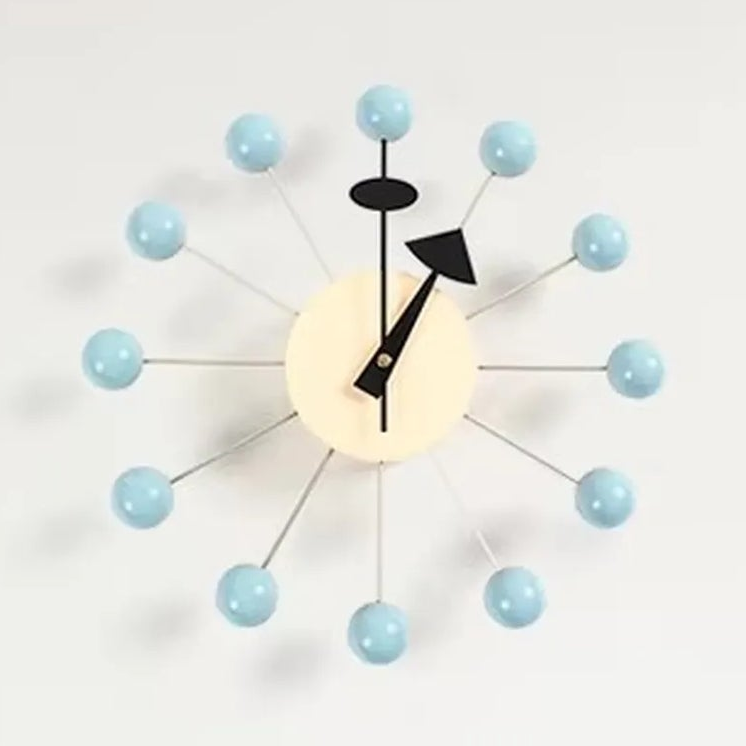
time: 1:00
